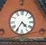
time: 4:35
